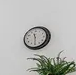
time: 11:29
